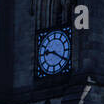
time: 9:20
